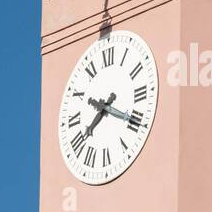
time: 8:19
